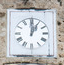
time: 1:00
